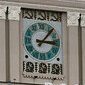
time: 3:06
